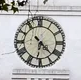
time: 4:31
